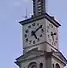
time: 5:08
